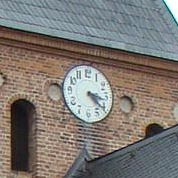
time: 3:21
